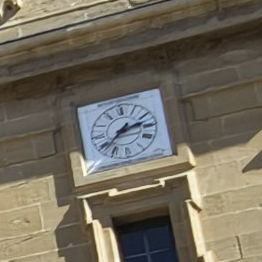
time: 2:38
